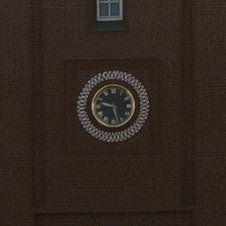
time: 9:27
